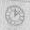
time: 12:07
